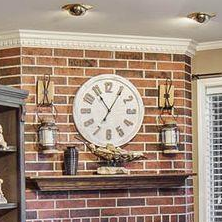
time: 11:05
